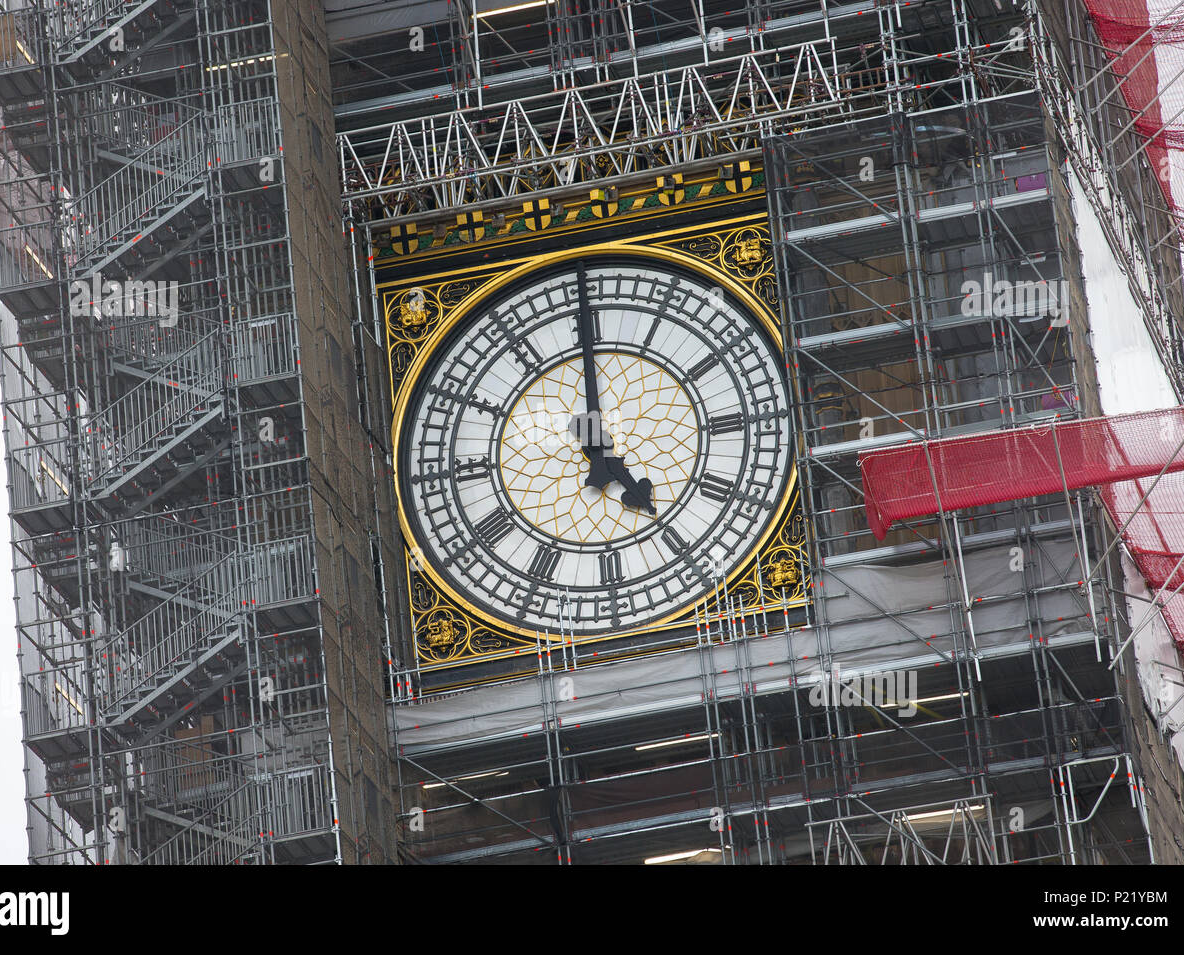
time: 5:00
